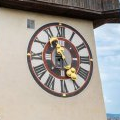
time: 11:28
